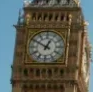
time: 12:50
